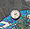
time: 2:21
